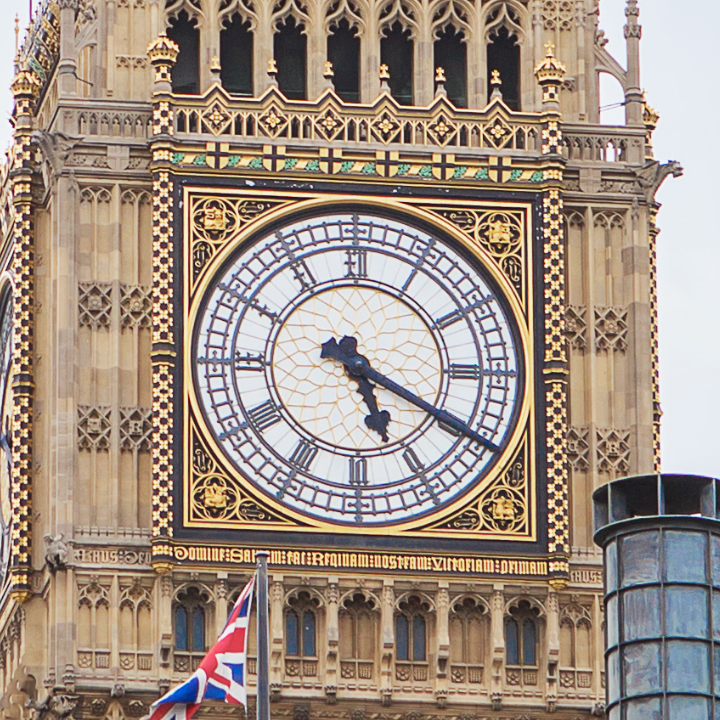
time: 5:19
